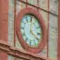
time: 4:01
